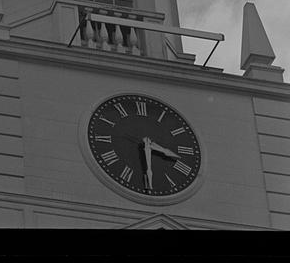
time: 3:29
